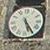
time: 5:24
